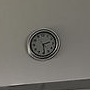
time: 2:29
